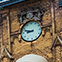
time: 8:47
